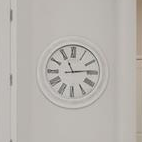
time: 11:13
